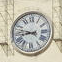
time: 8:47
